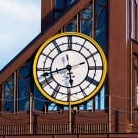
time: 5:42
